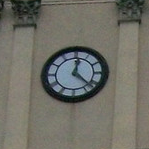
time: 12:22
